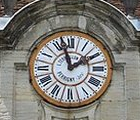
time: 1:57
